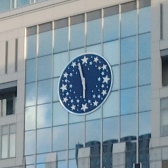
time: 5:57
